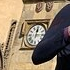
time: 12:14
